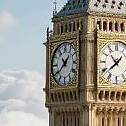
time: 1:39
